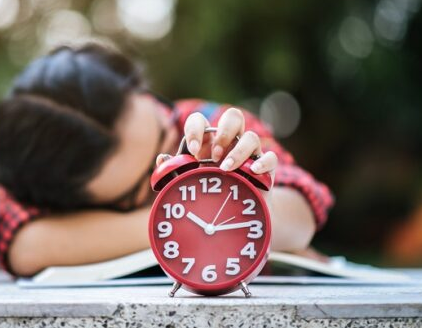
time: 10:13
